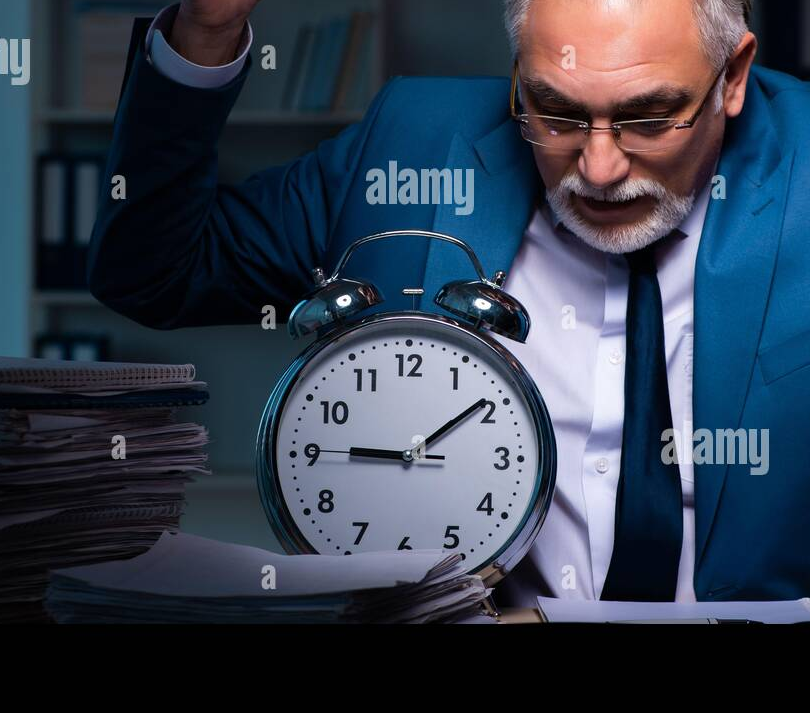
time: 9:09
